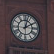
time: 2:02
